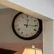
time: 12:15
